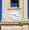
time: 4:46
